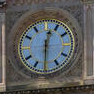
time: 12:30
